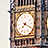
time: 7:19
